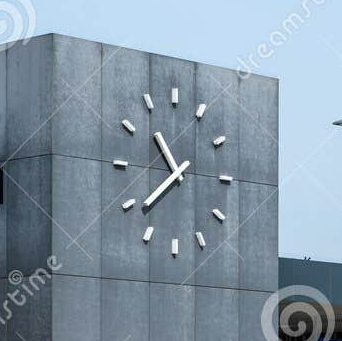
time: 10:38
